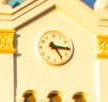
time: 3:24
